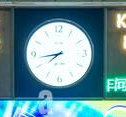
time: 7:43
